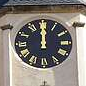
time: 11:59
